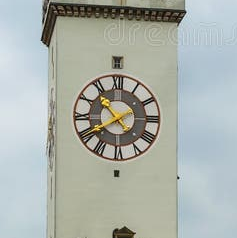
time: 10:39
